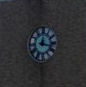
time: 12:17
